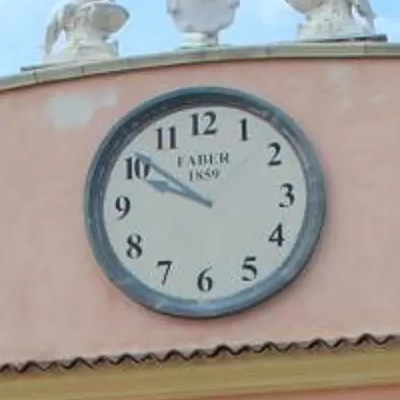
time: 9:51
